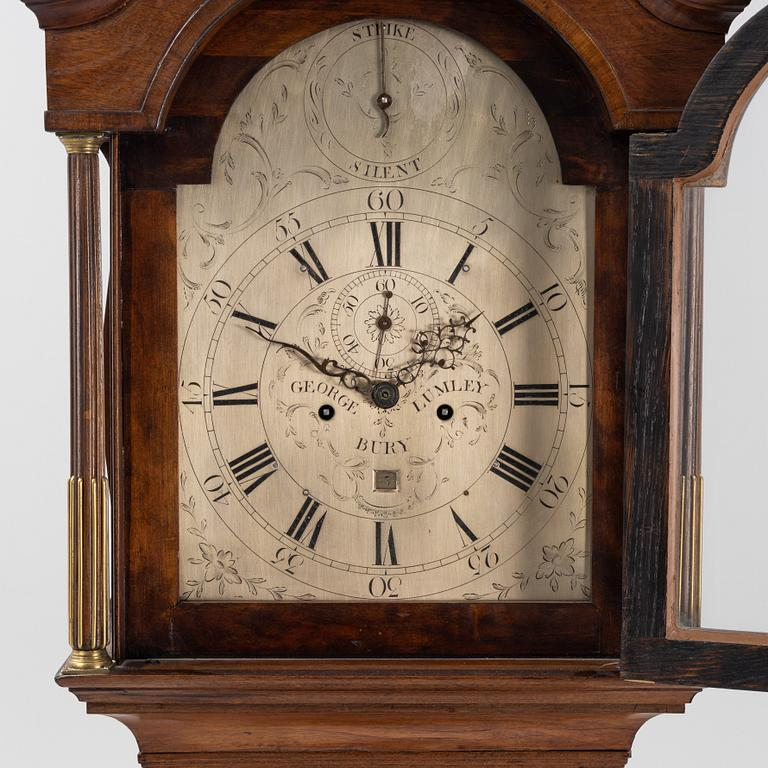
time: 1:49
